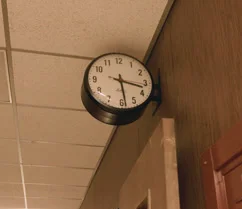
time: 3:28
